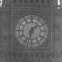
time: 1:32
